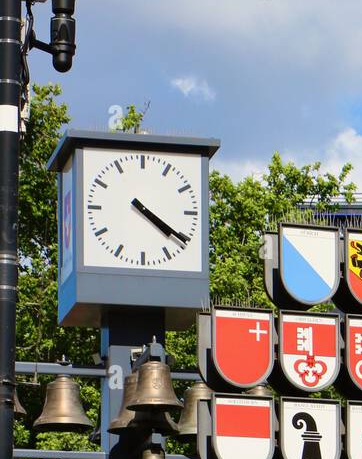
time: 4:20
